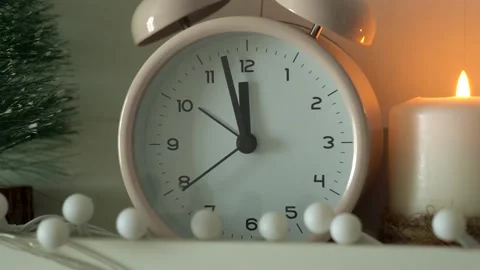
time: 11:57
